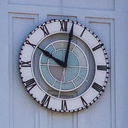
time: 10:02
